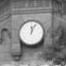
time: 12:04
